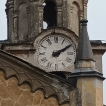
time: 2:09
